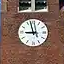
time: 8:57
